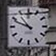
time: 10:48
